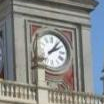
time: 2:06
